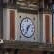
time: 1:33
